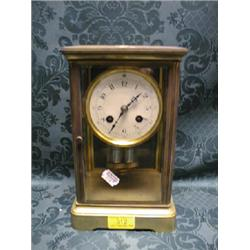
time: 7:07
